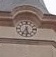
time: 5:35
